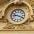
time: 9:18
